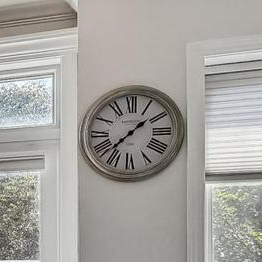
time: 1:37
